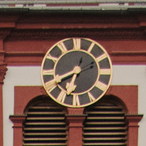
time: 6:40
